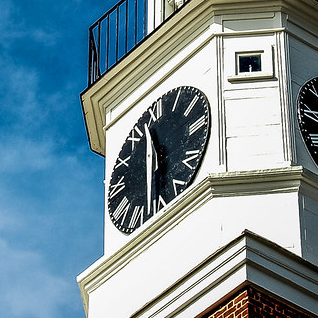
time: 11:28
